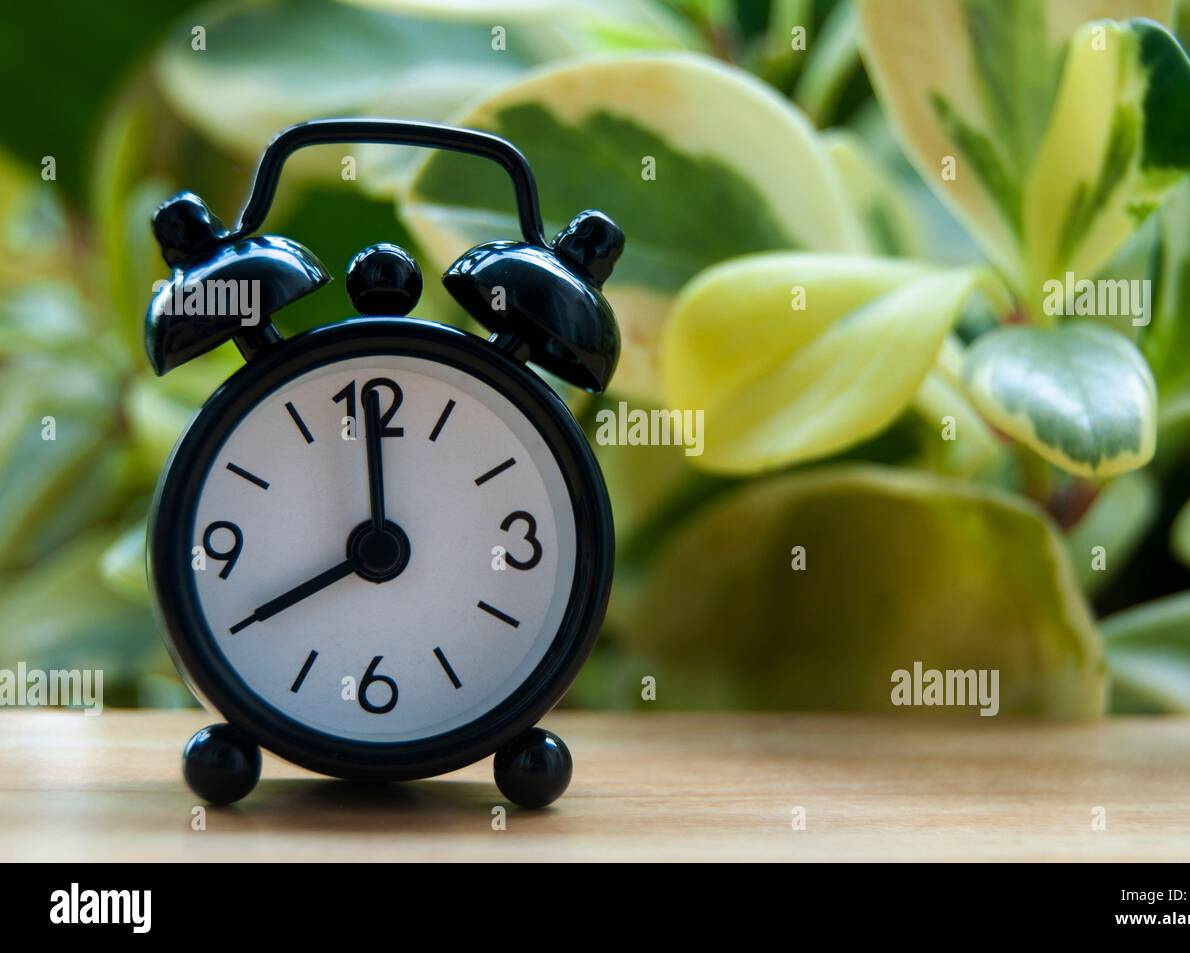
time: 8:00
